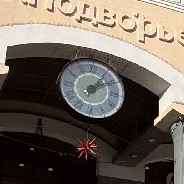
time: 1:09
